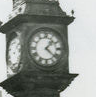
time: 1:22
